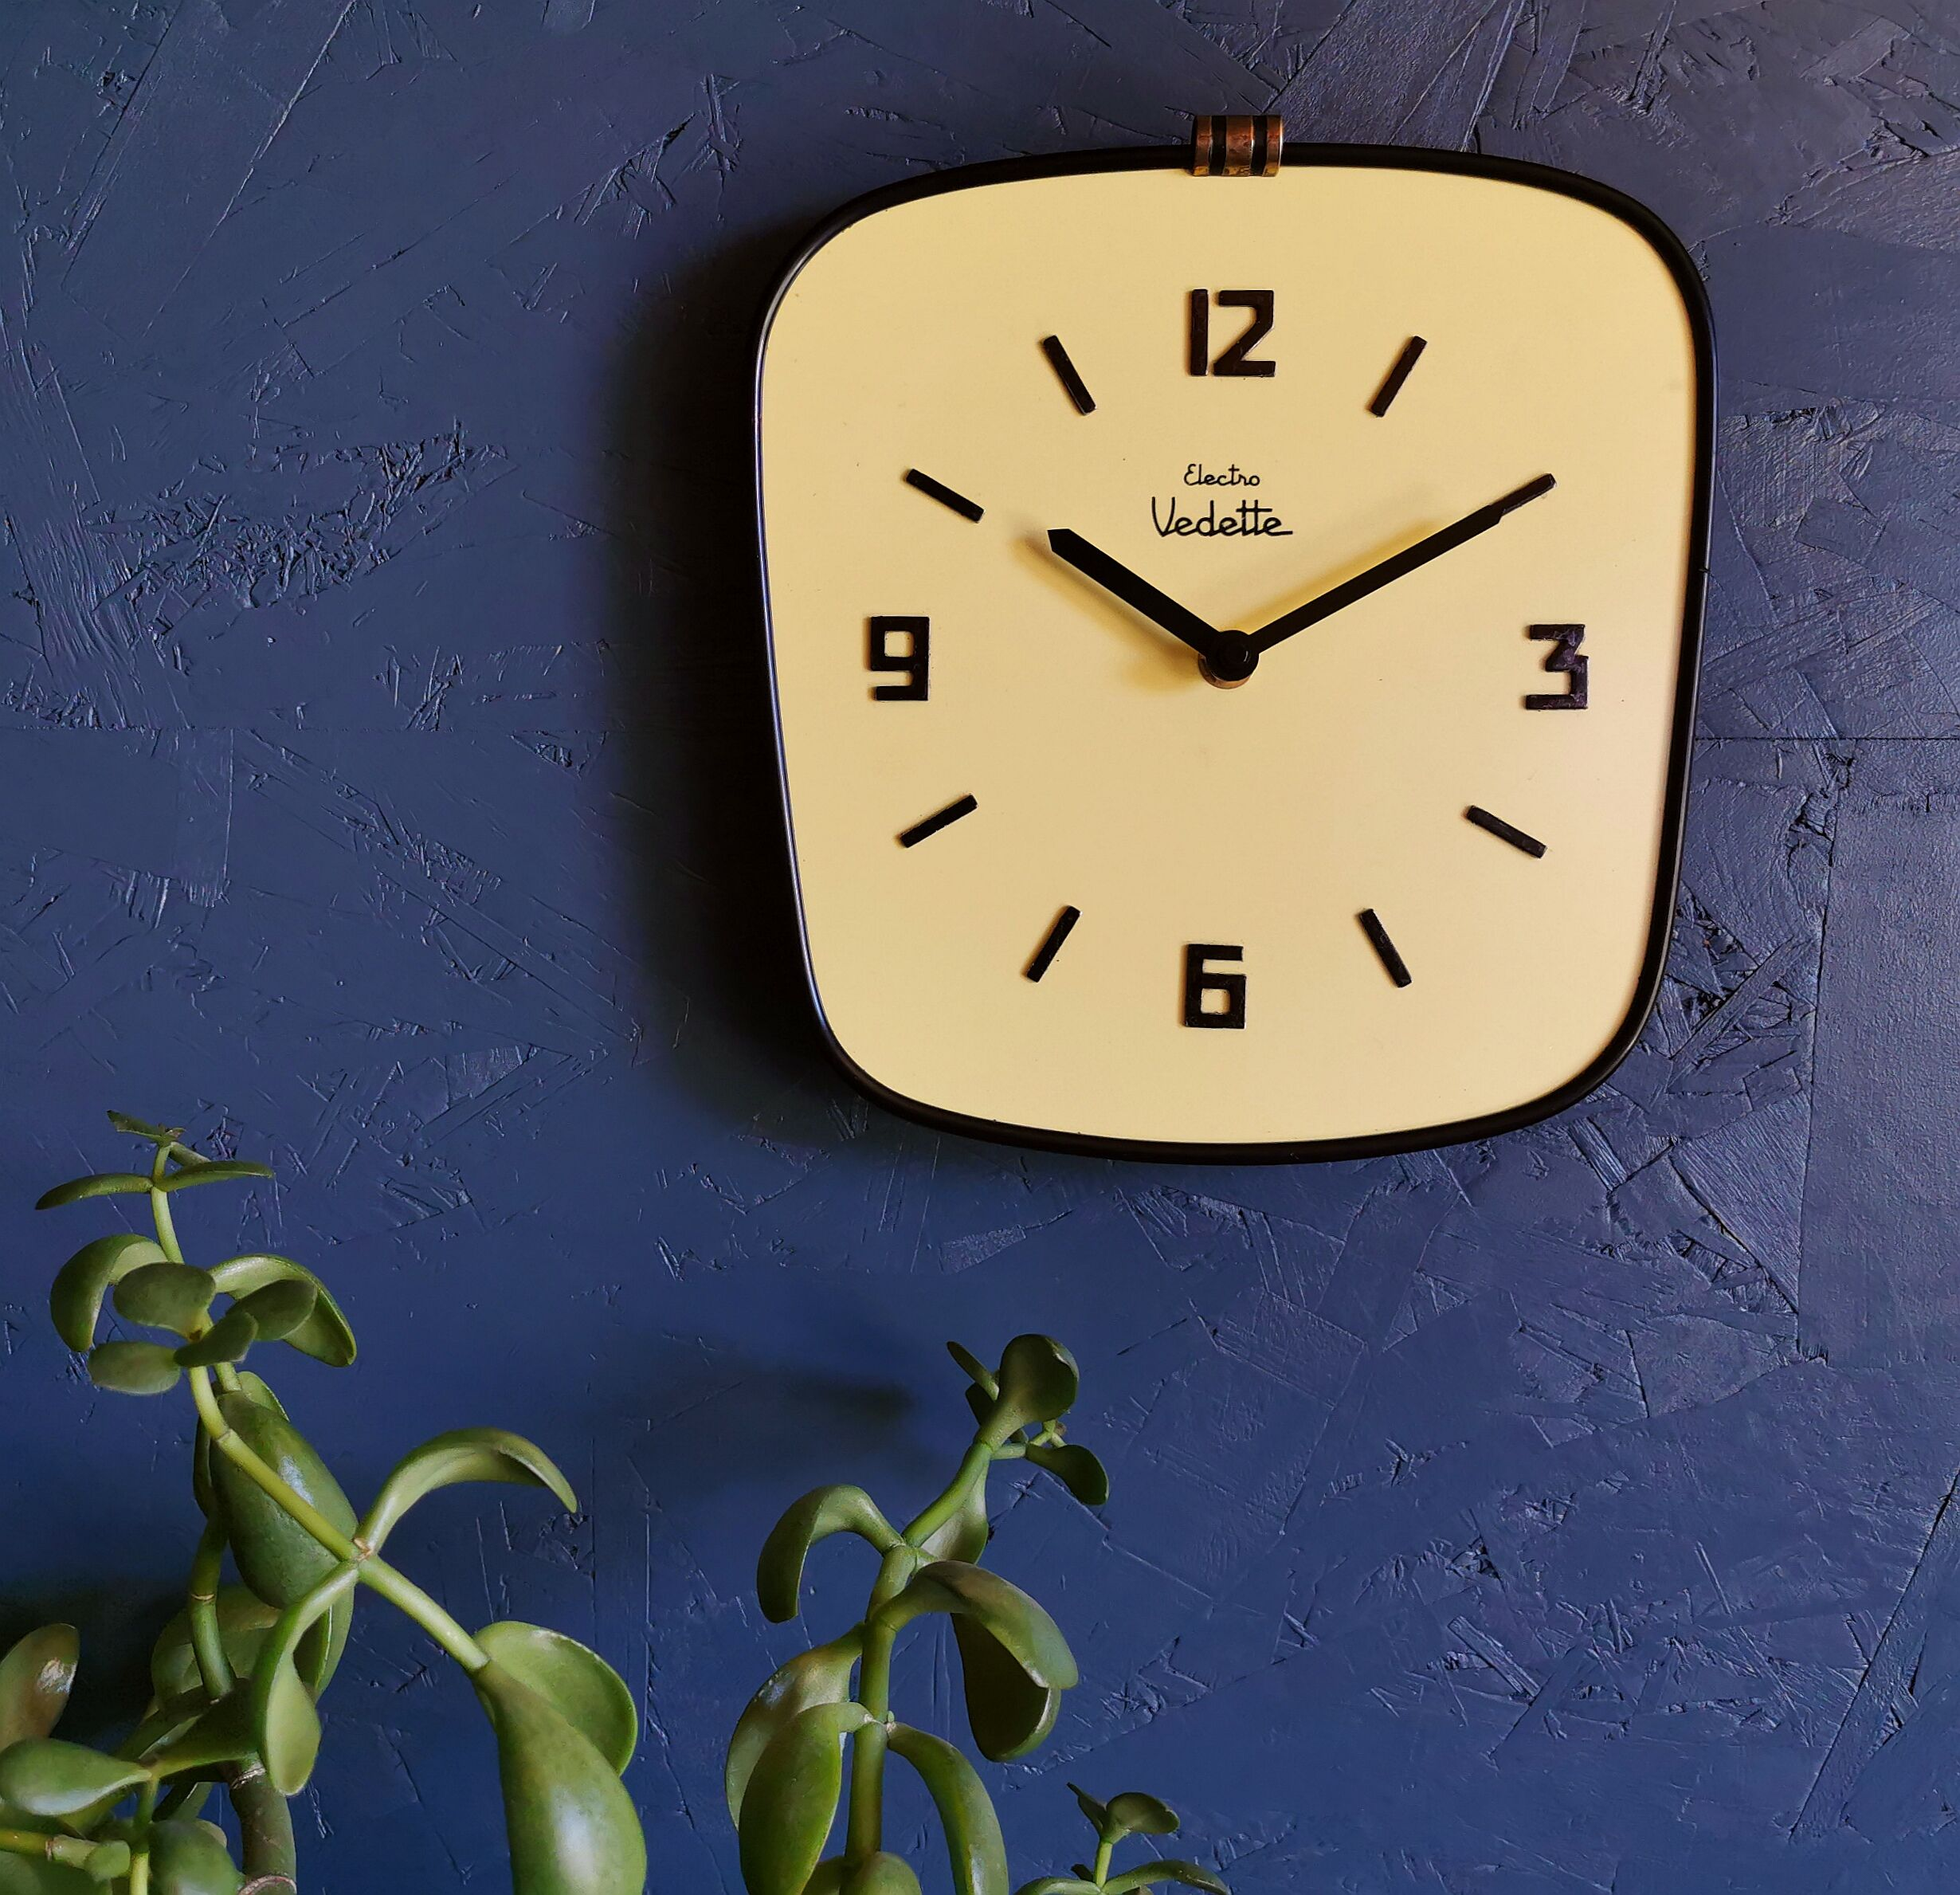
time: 10:10
